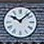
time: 10:07
